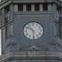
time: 10:30
